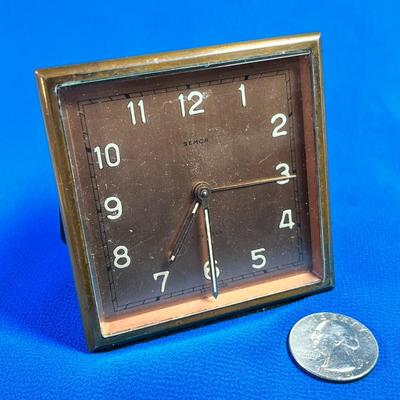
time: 6:15
